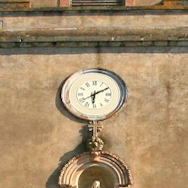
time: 6:10
